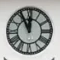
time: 11:55
